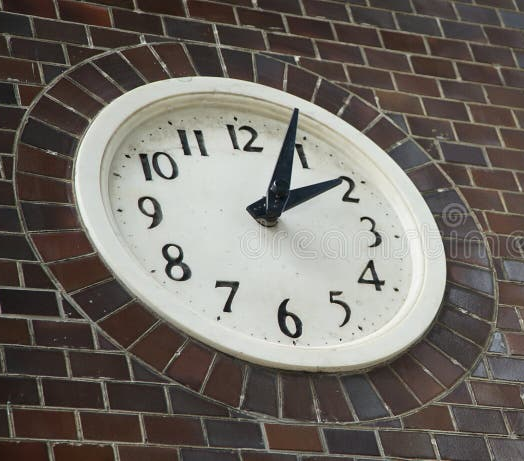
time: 2:04
